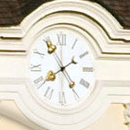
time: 7:54
